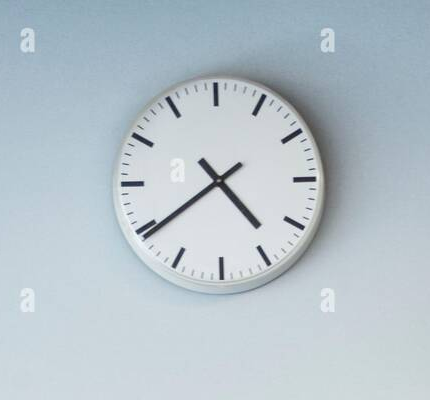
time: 4:39
